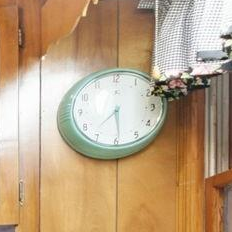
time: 7:29
